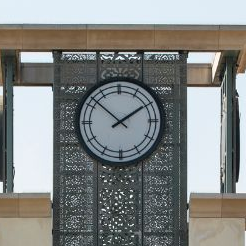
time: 1:52
